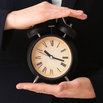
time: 10:17
